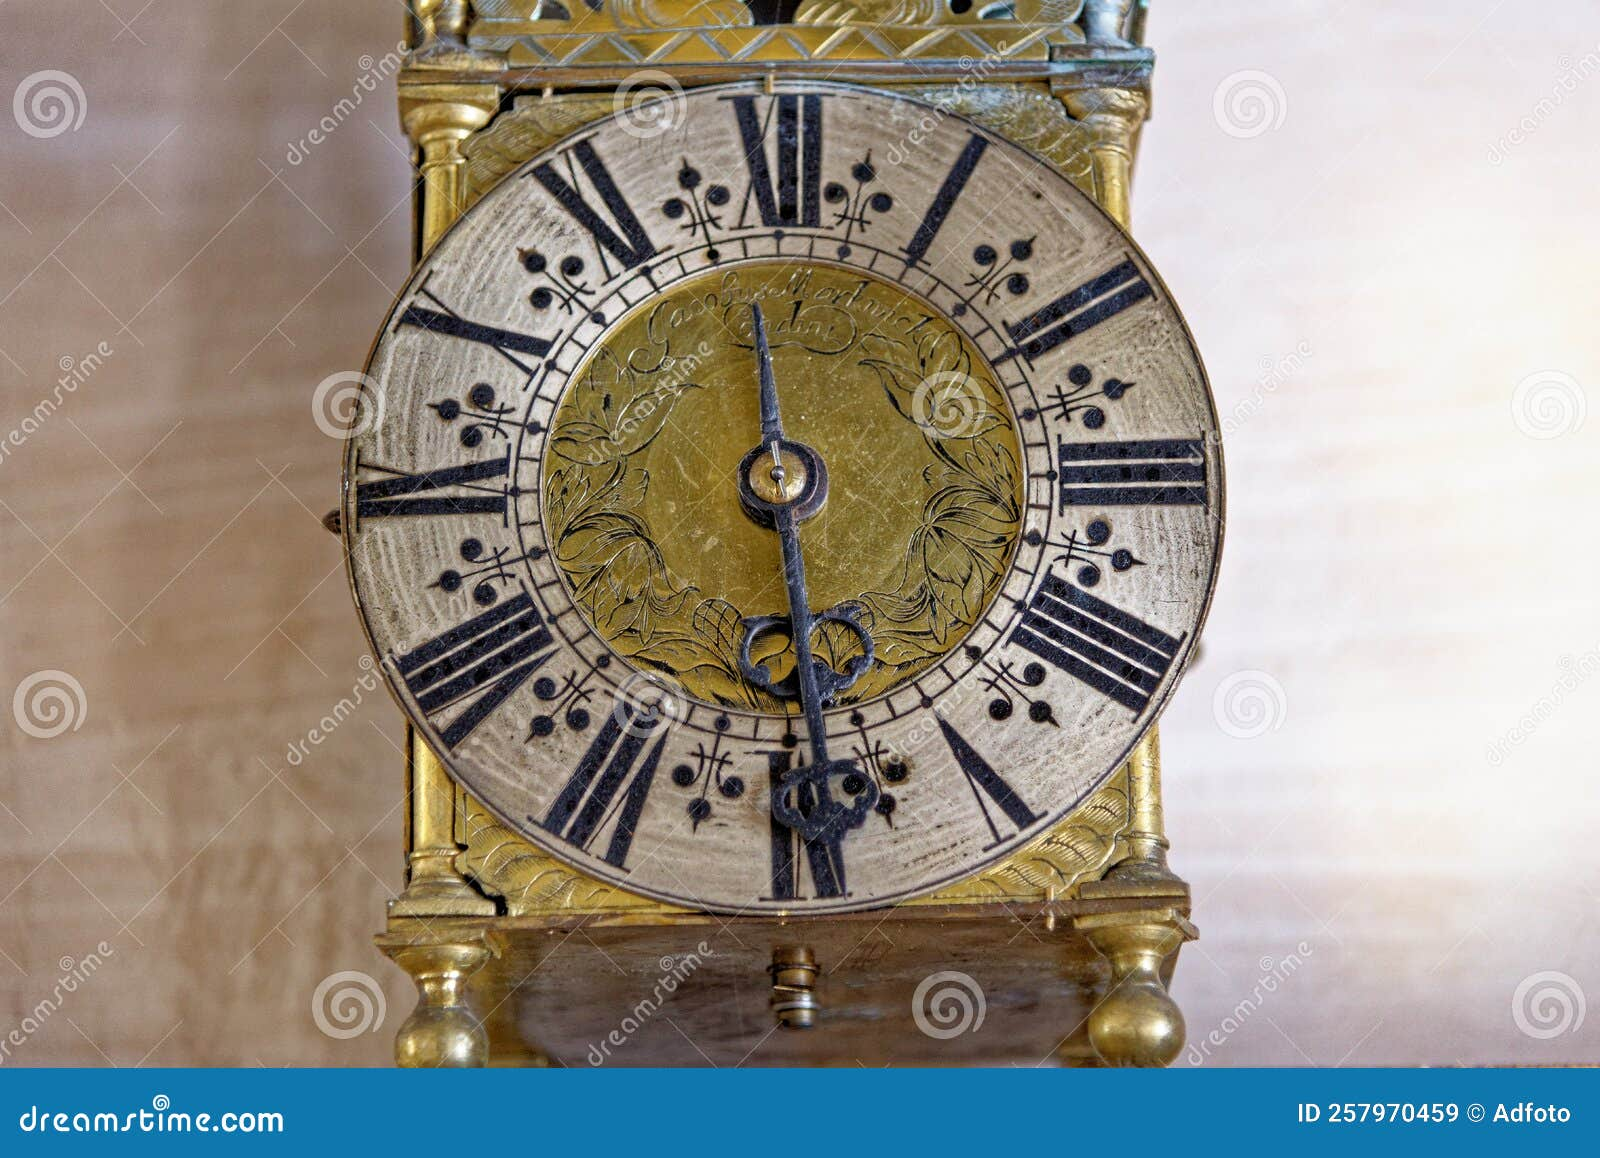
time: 11:28
